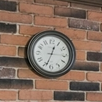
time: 12:33
